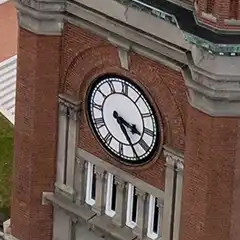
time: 3:24
